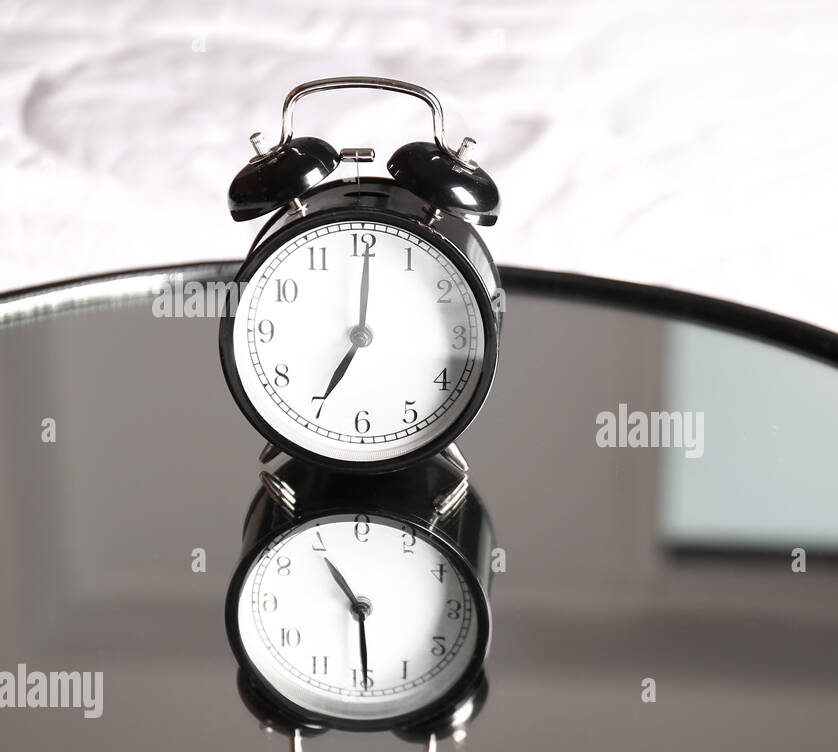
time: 7:00
